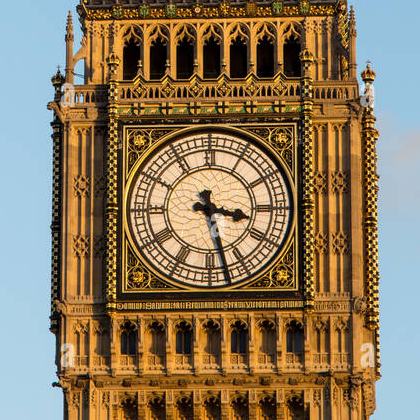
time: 3:27
